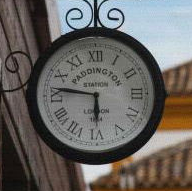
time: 5:46
